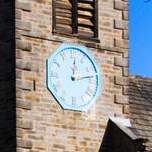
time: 12:13
